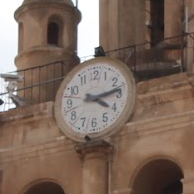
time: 4:13
